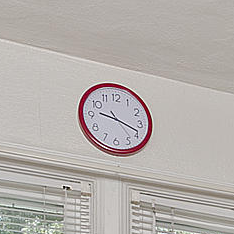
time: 9:18
